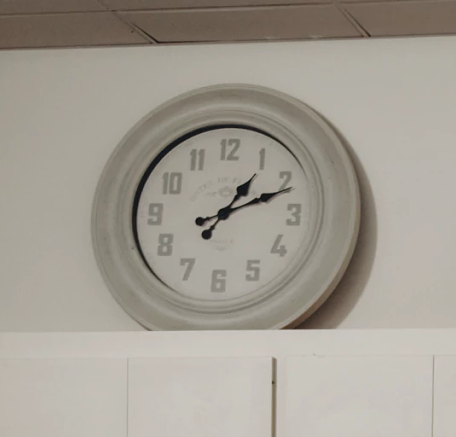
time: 1:11
